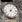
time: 4:06
